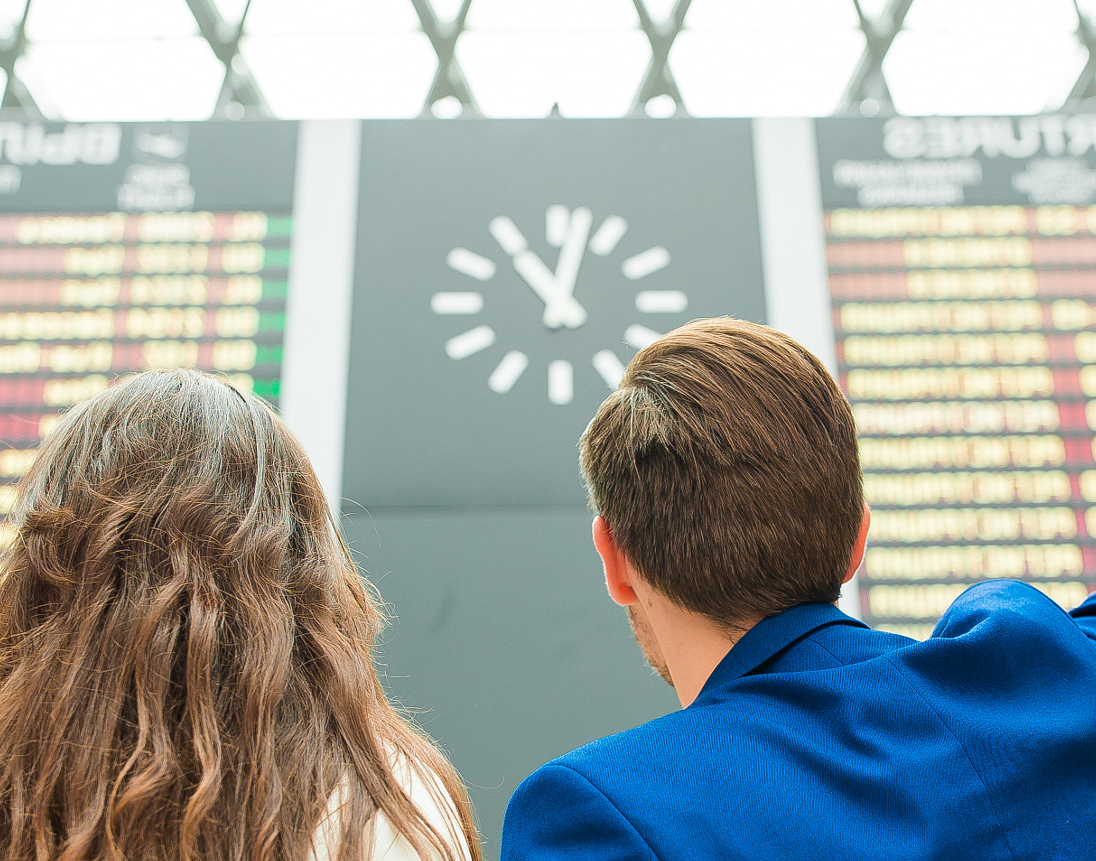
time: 11:02
